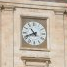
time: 10:41
